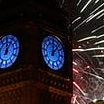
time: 12:07
